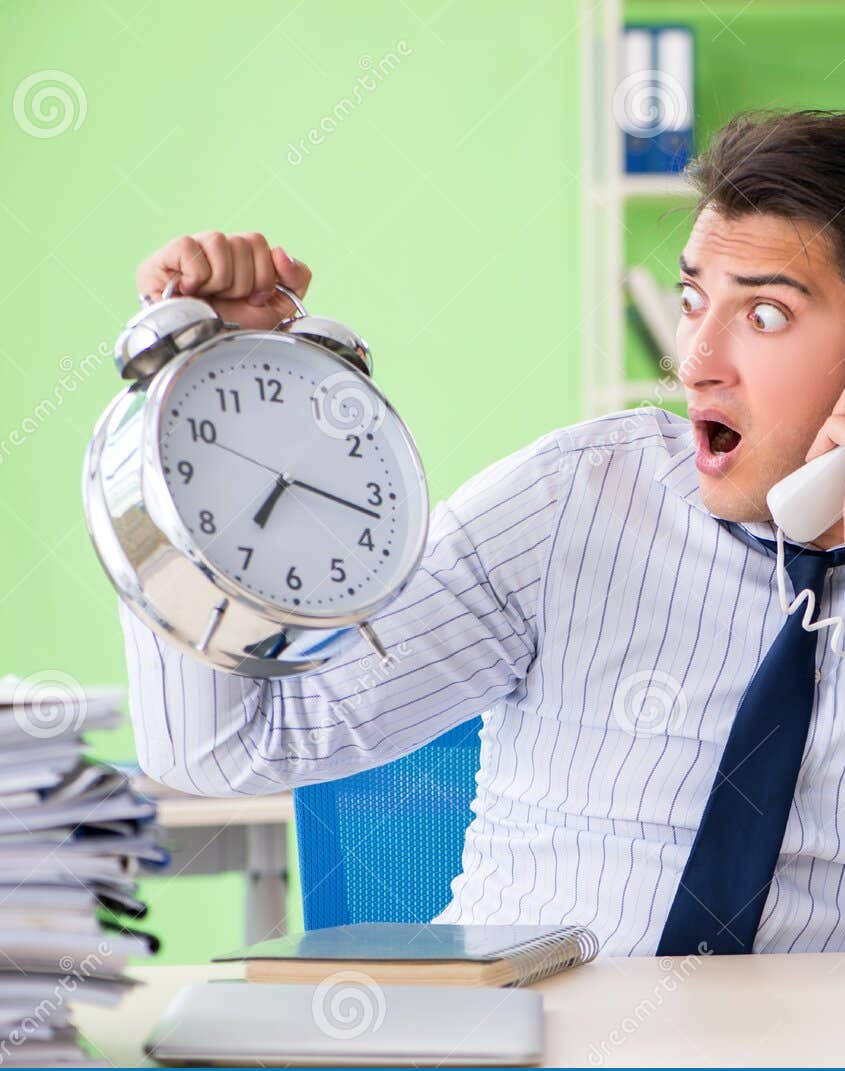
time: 7:17
